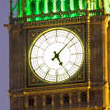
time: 5:07
